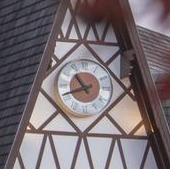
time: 10:41
